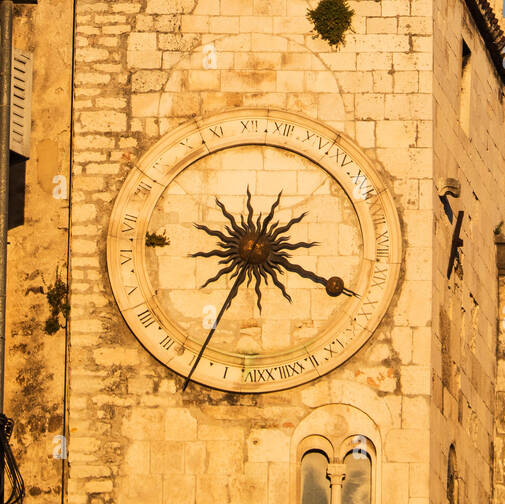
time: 3:34
